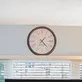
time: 1:22
